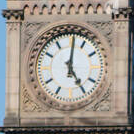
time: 5:01
